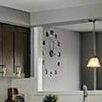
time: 12:16
